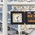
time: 1:28
